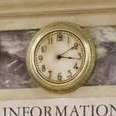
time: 3:09
